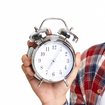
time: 7:05
